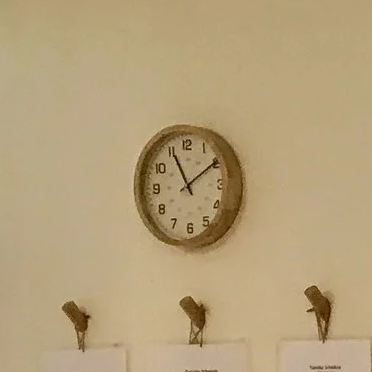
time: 11:09
